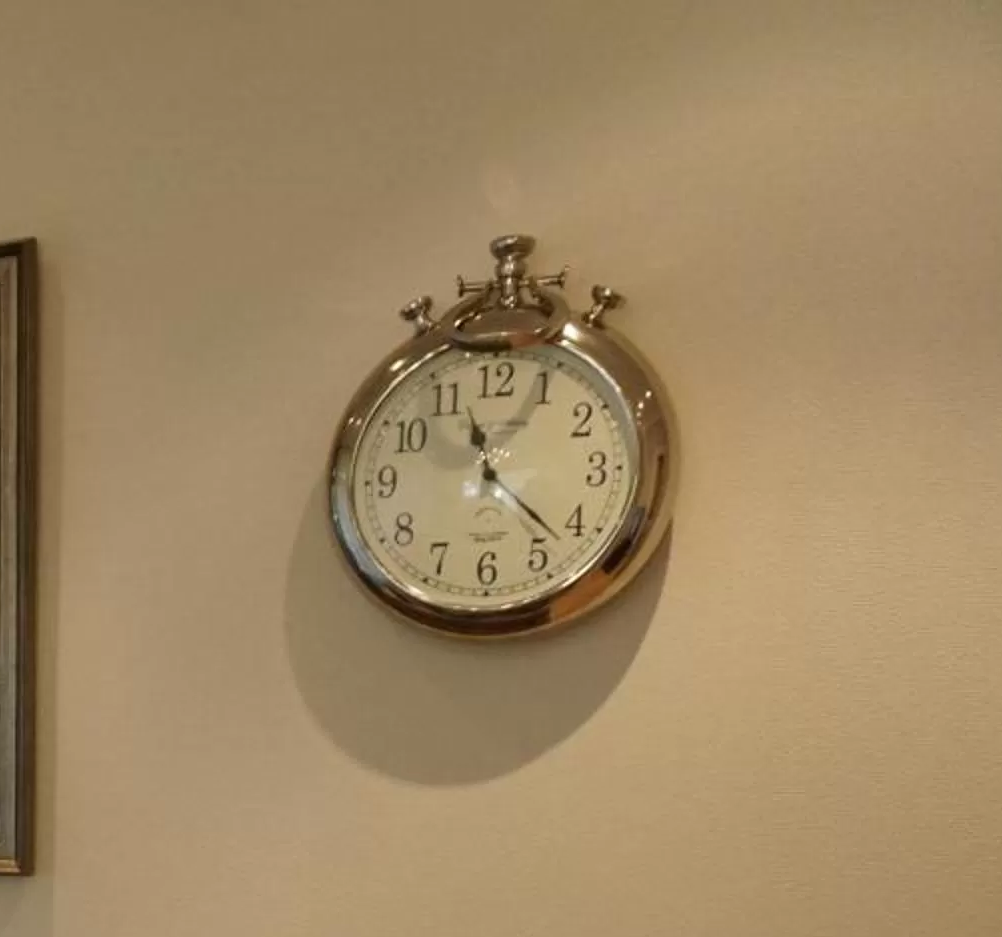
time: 11:22
